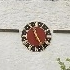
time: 11:24
